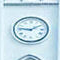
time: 9:09
